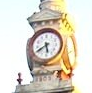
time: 5:40
